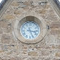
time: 3:26
